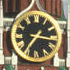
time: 7:16
